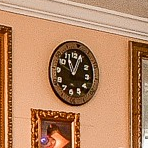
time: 11:03
